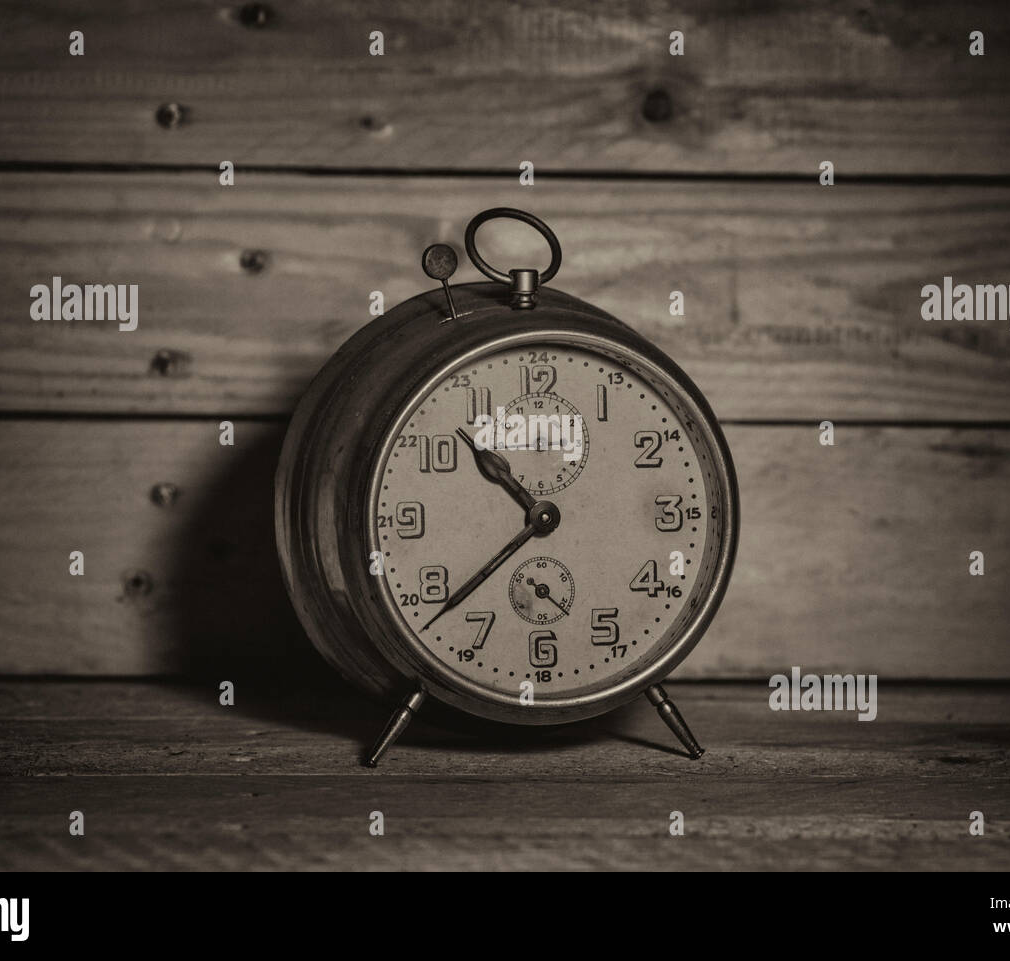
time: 10:38
